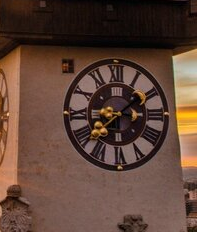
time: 1:37
